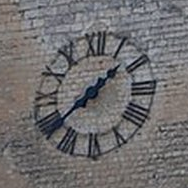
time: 1:38
